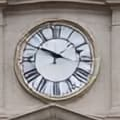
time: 9:48
